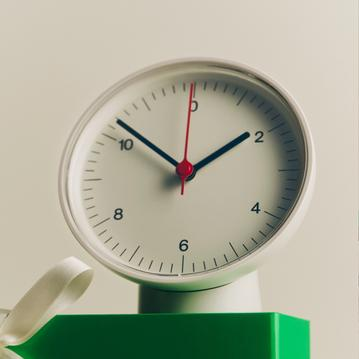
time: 1:51
